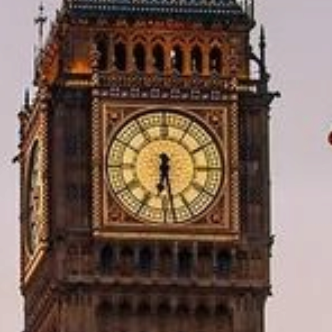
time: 6:28
